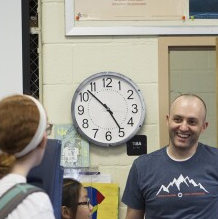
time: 4:52
